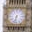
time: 6:32
